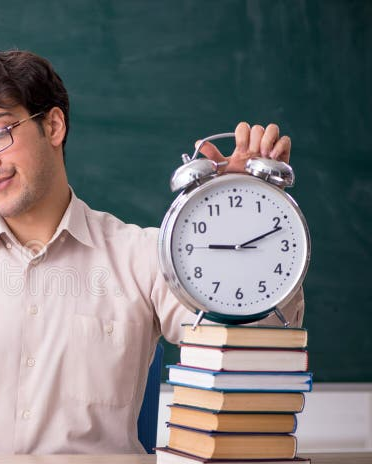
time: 9:11
